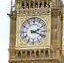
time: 2:18
